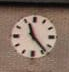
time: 11:23
